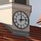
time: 12:13
